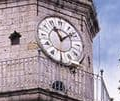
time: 11:08
